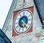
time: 6:23
